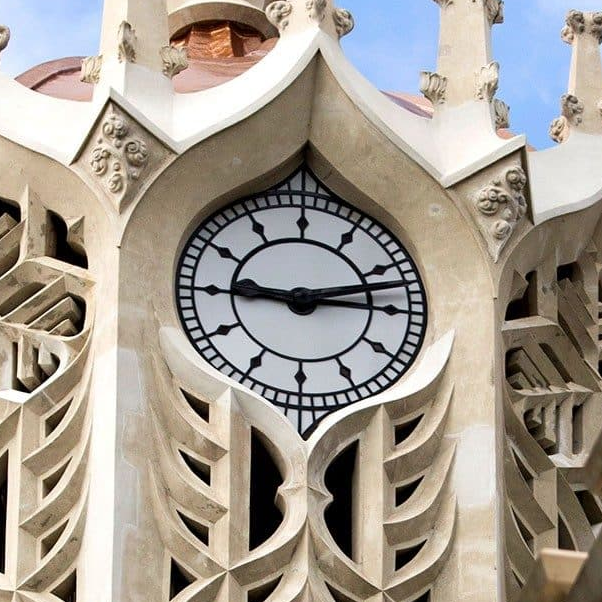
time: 9:12
